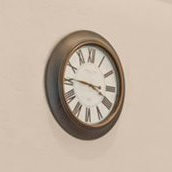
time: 3:46
